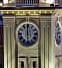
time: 5:59
